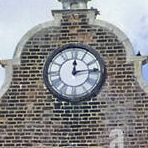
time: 12:13
